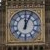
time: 12:04
